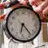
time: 6:23
